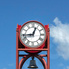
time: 12:43
